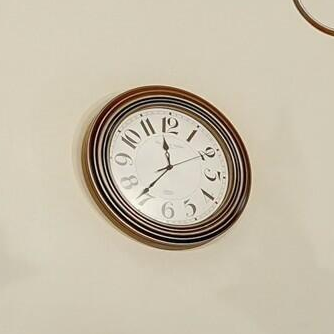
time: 11:36
